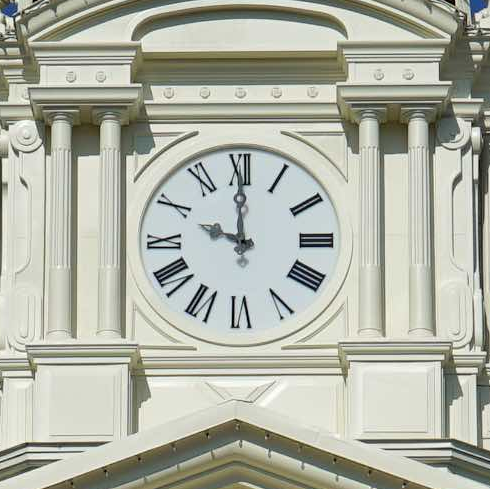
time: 9:59
